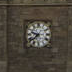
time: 9:38
